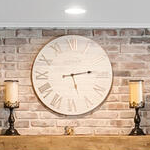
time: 5:13
